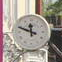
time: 11:48
